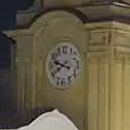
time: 9:40
